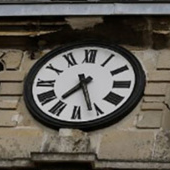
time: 7:26
